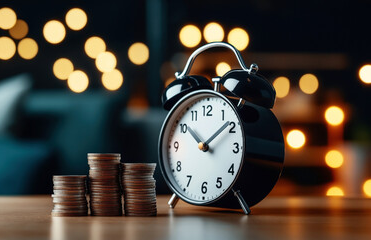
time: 10:08
